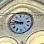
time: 9:45
